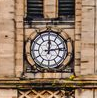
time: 12:13
